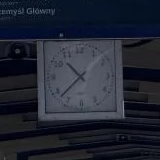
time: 10:37
